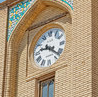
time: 9:21
